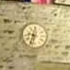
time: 9:33
